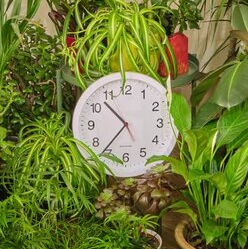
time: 10:36
